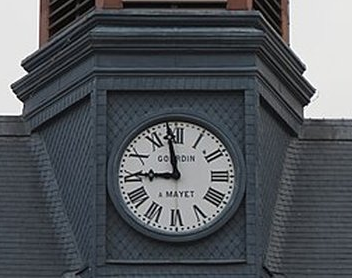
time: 8:58
